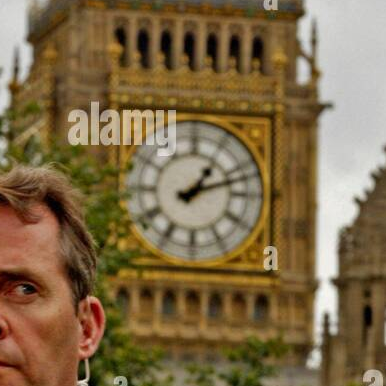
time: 1:12
